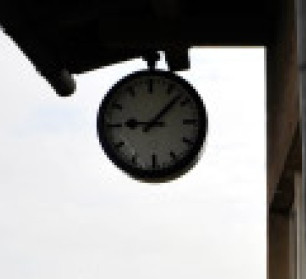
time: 9:07
